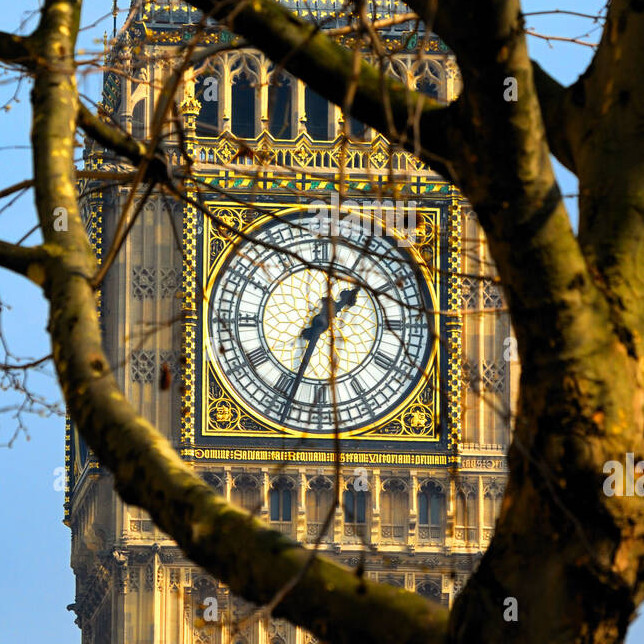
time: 1:33
